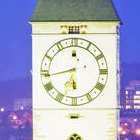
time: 6:43
